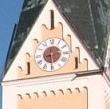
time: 8:30
